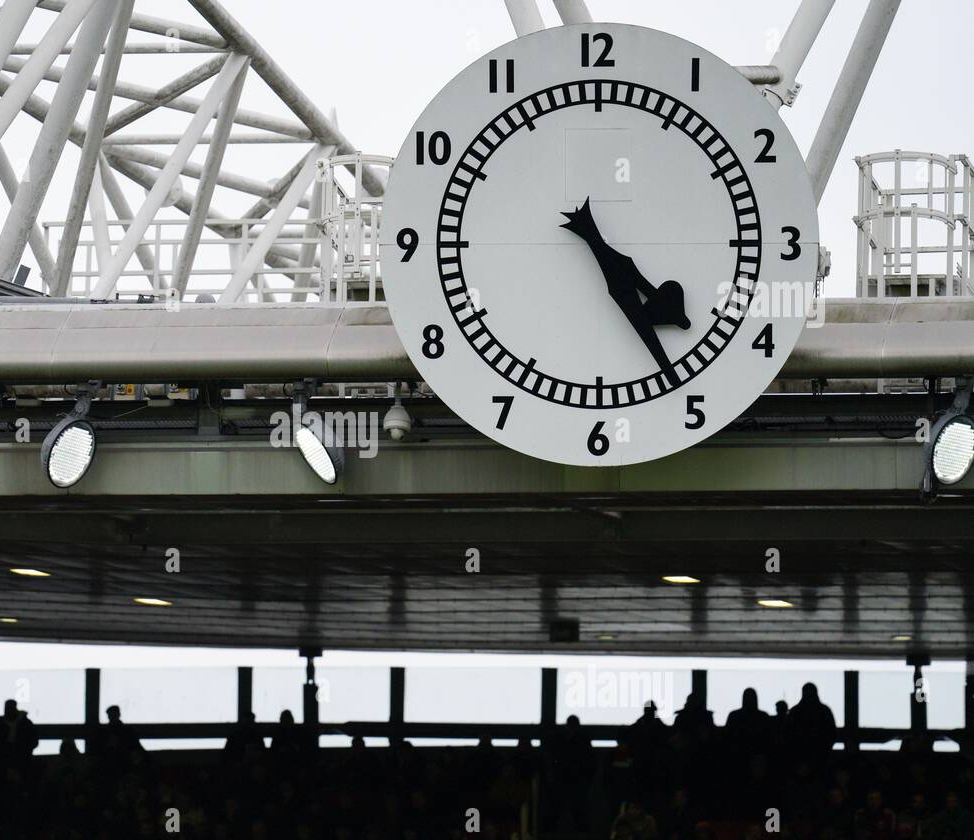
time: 4:25
